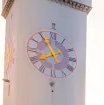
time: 7:54
